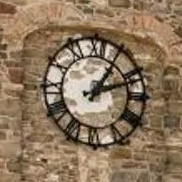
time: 1:11
